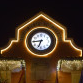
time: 6:44
